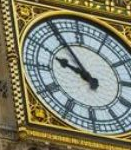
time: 9:54
